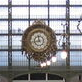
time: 11:42
